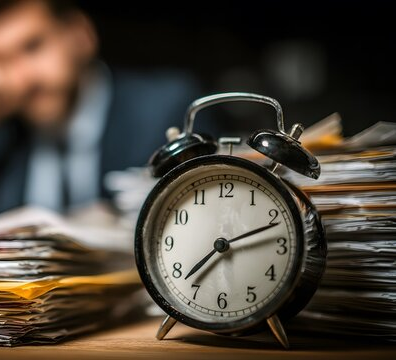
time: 7:11
